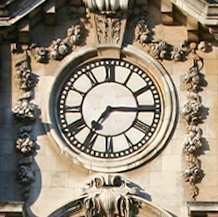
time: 7:15
